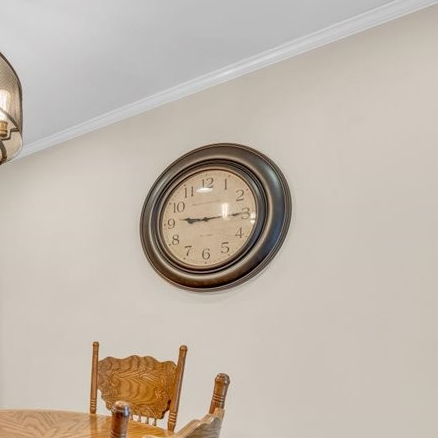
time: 9:14
